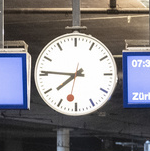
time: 7:45
